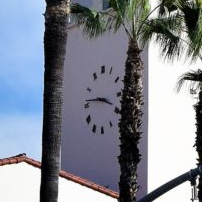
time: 3:46
